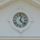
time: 12:22
